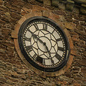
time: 4:50
